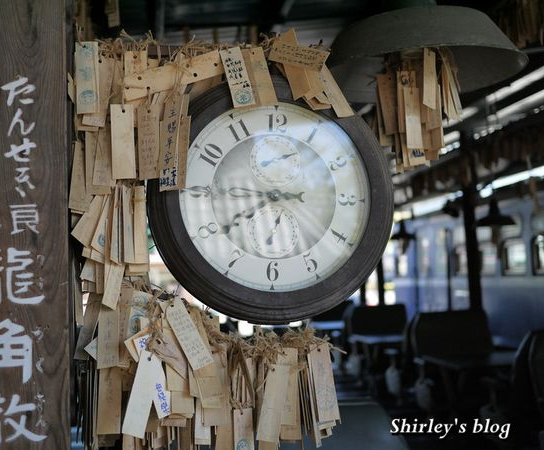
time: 7:44
